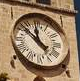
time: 11:52
